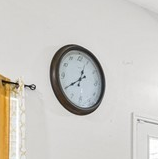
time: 12:39
